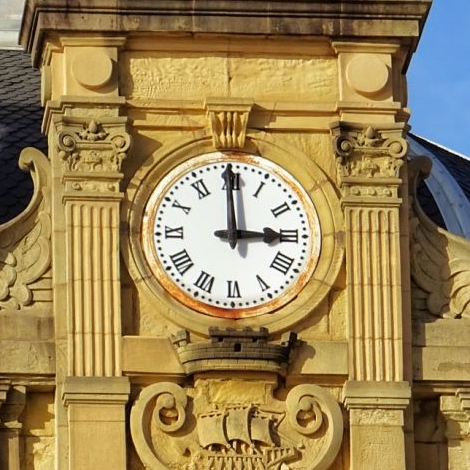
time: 2:59
